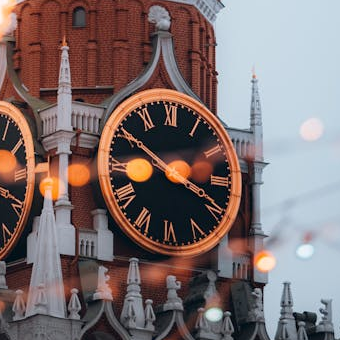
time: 3:50
